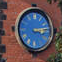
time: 3:13
